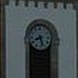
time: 8:27
